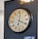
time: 4:01
